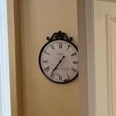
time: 7:36
